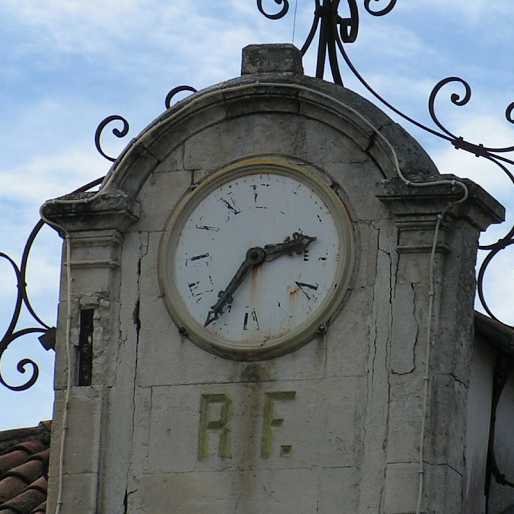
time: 2:35
